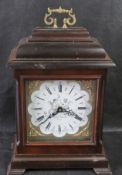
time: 7:18
